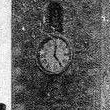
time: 12:23
